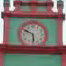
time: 5:49
